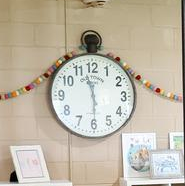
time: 11:29
